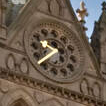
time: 9:38
